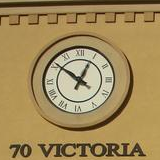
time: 12:51
